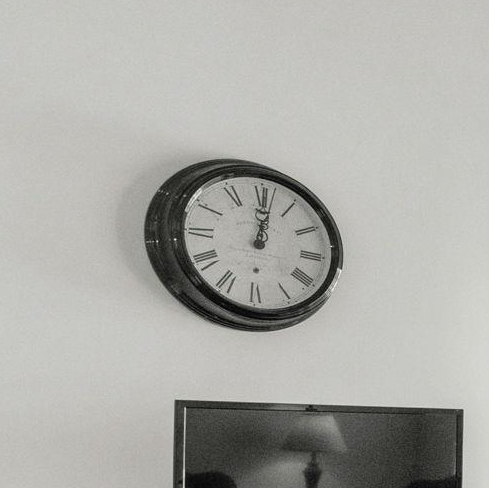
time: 12:01
